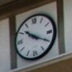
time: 10:19
